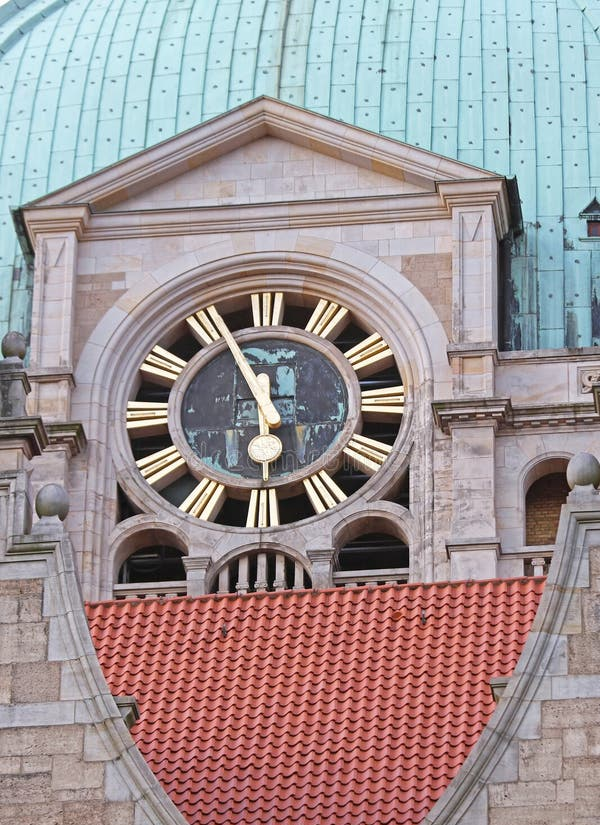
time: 11:55
